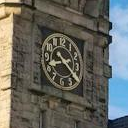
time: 8:21
